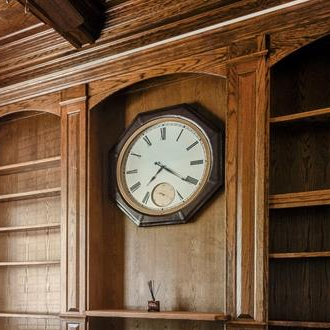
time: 7:20
